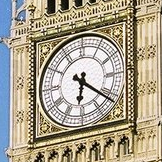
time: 6:21
